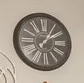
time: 1:09
